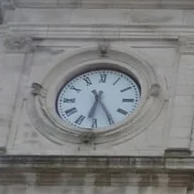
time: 6:24
